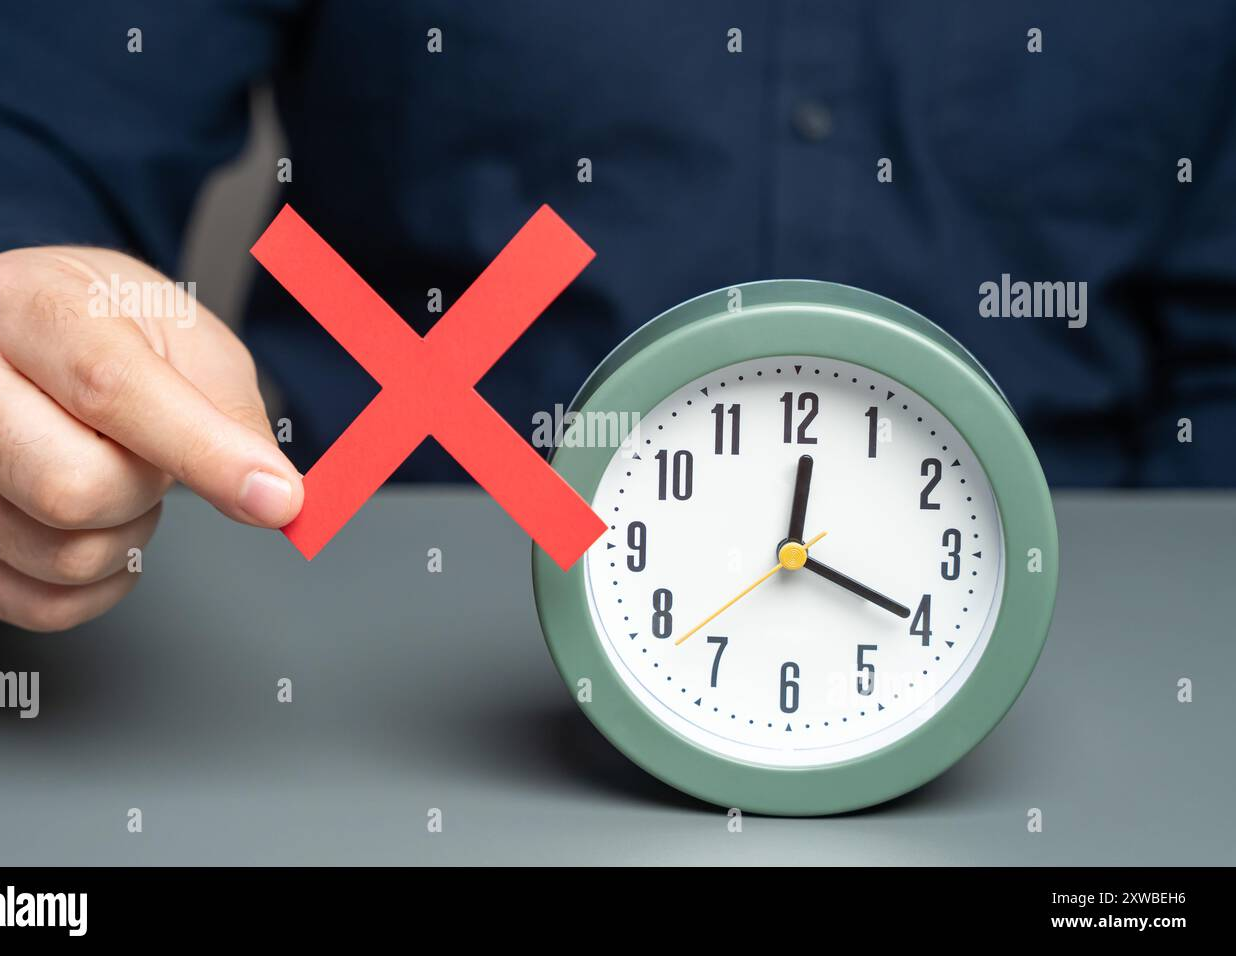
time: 12:19
